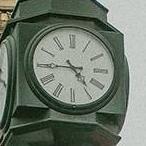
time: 4:44
